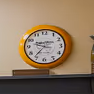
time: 9:36
